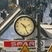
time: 10:25
